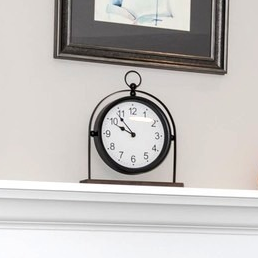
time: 9:53
